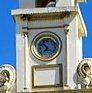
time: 6:53
